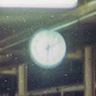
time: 6:10
